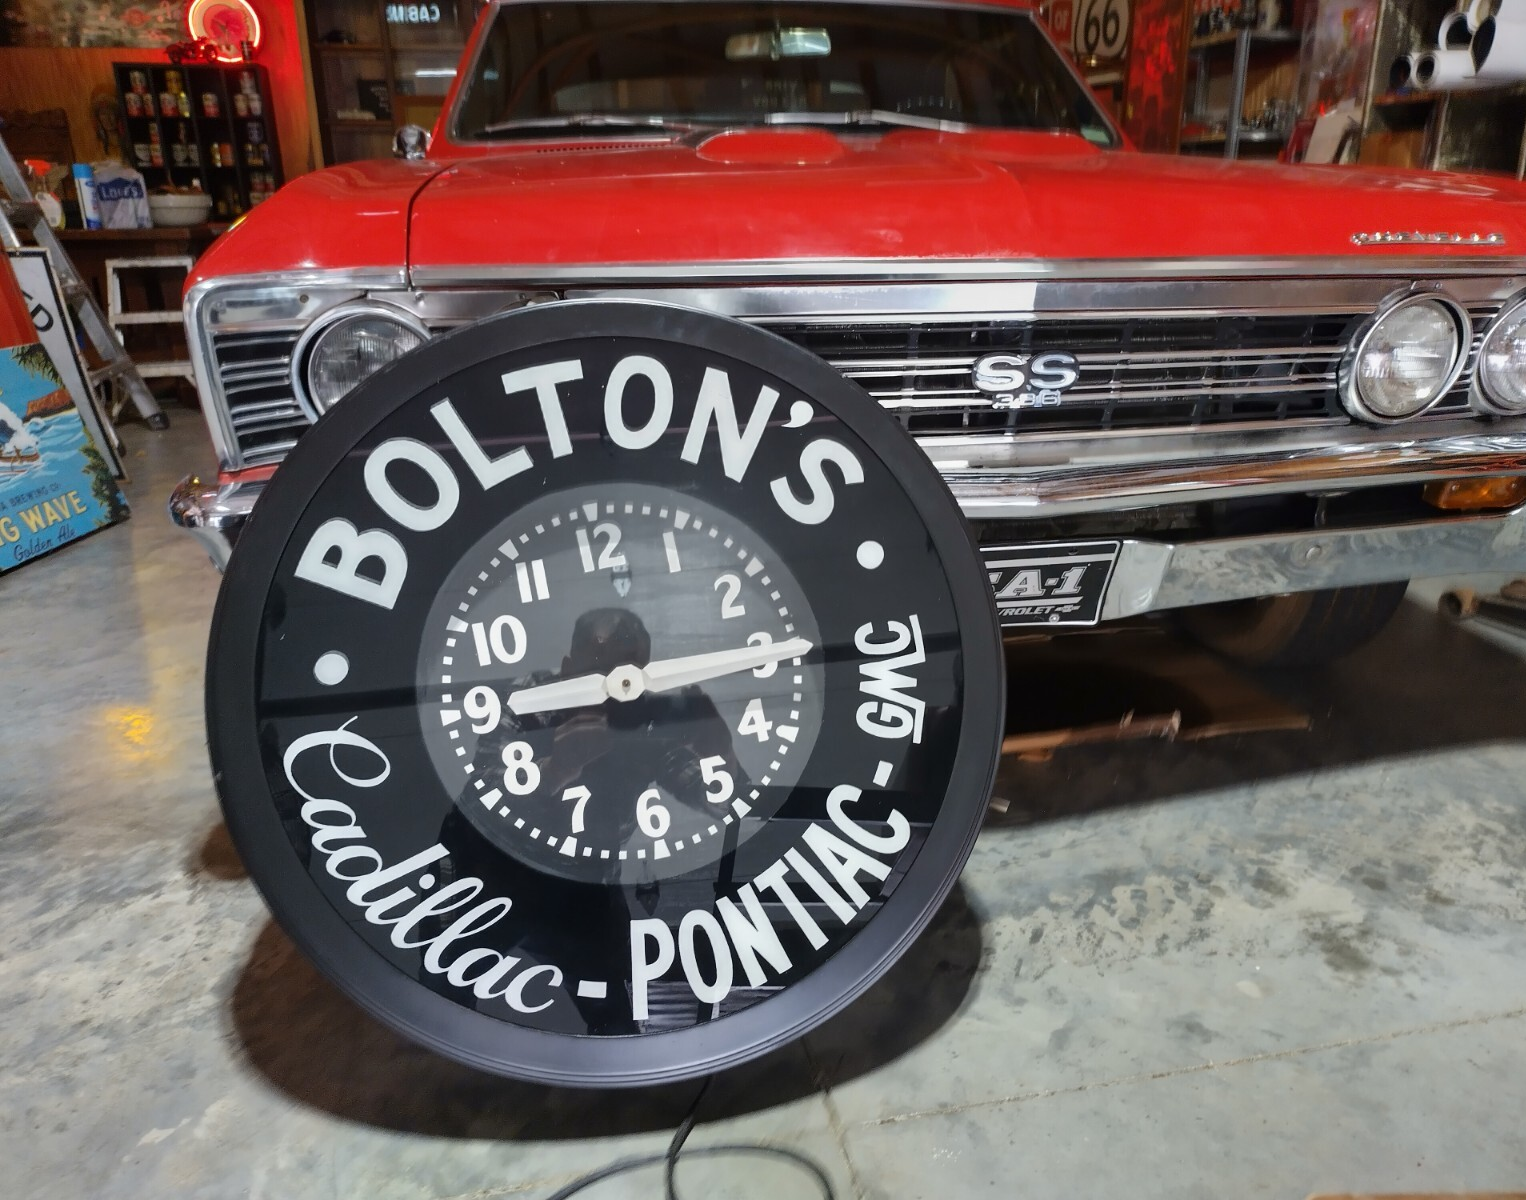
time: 9:14
